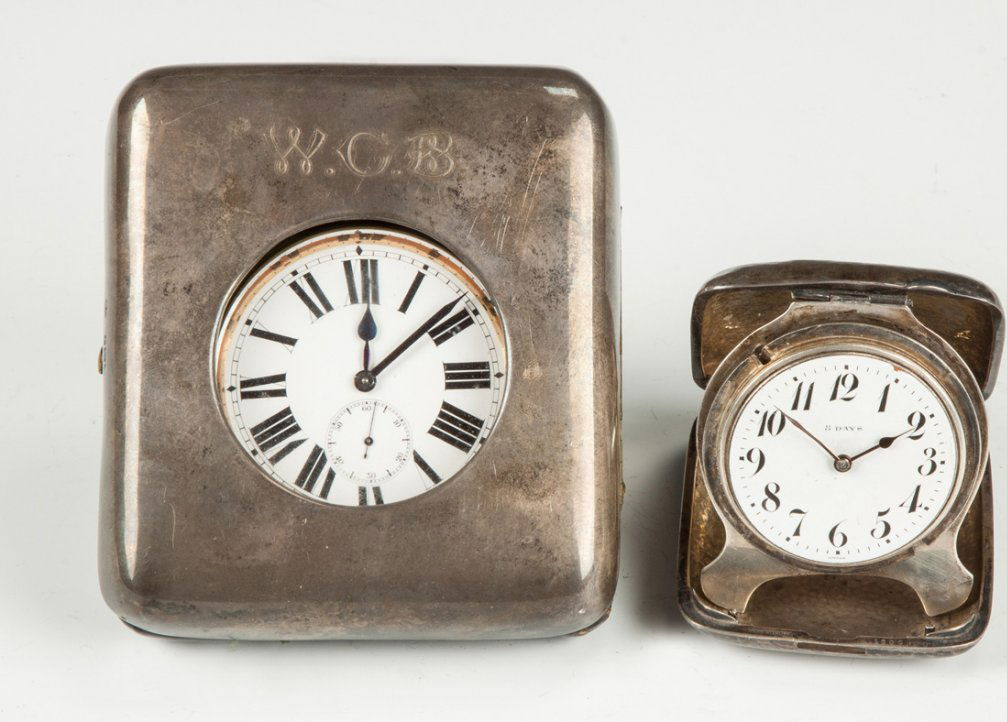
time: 12:08
